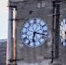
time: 6:17
